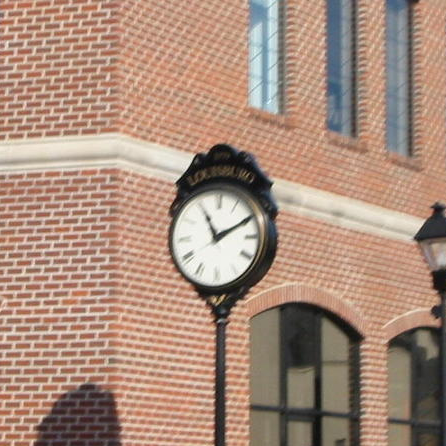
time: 11:10
